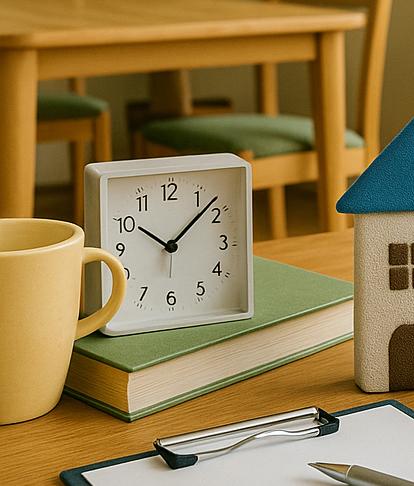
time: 10:07
